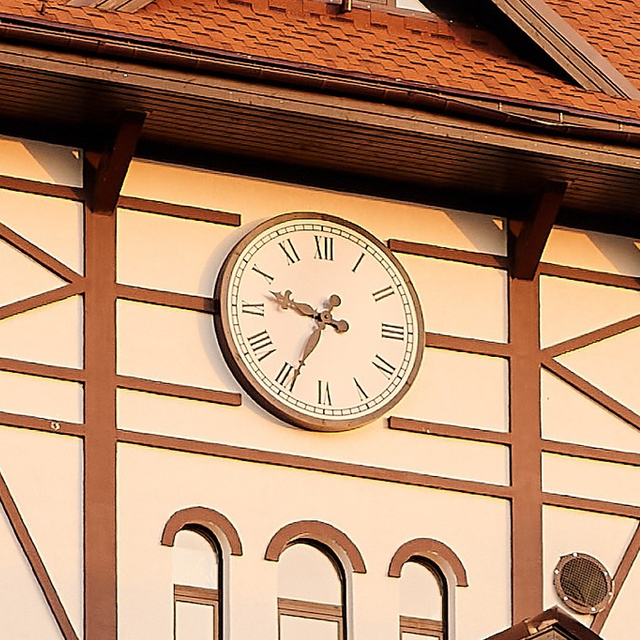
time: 9:34
